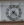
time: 4:36
